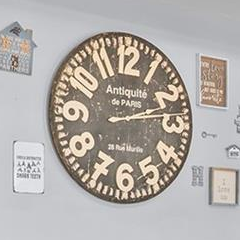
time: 2:12
